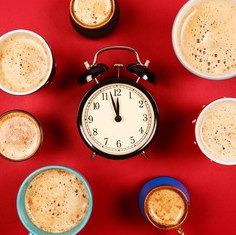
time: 11:57
